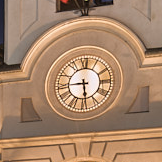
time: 5:45
